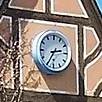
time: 2:35
